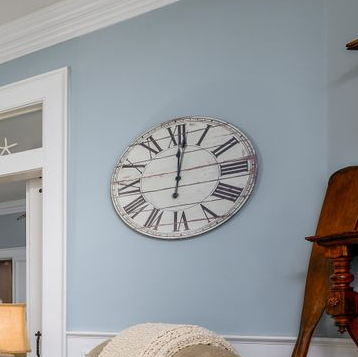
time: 12:01
